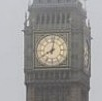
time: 8:01
